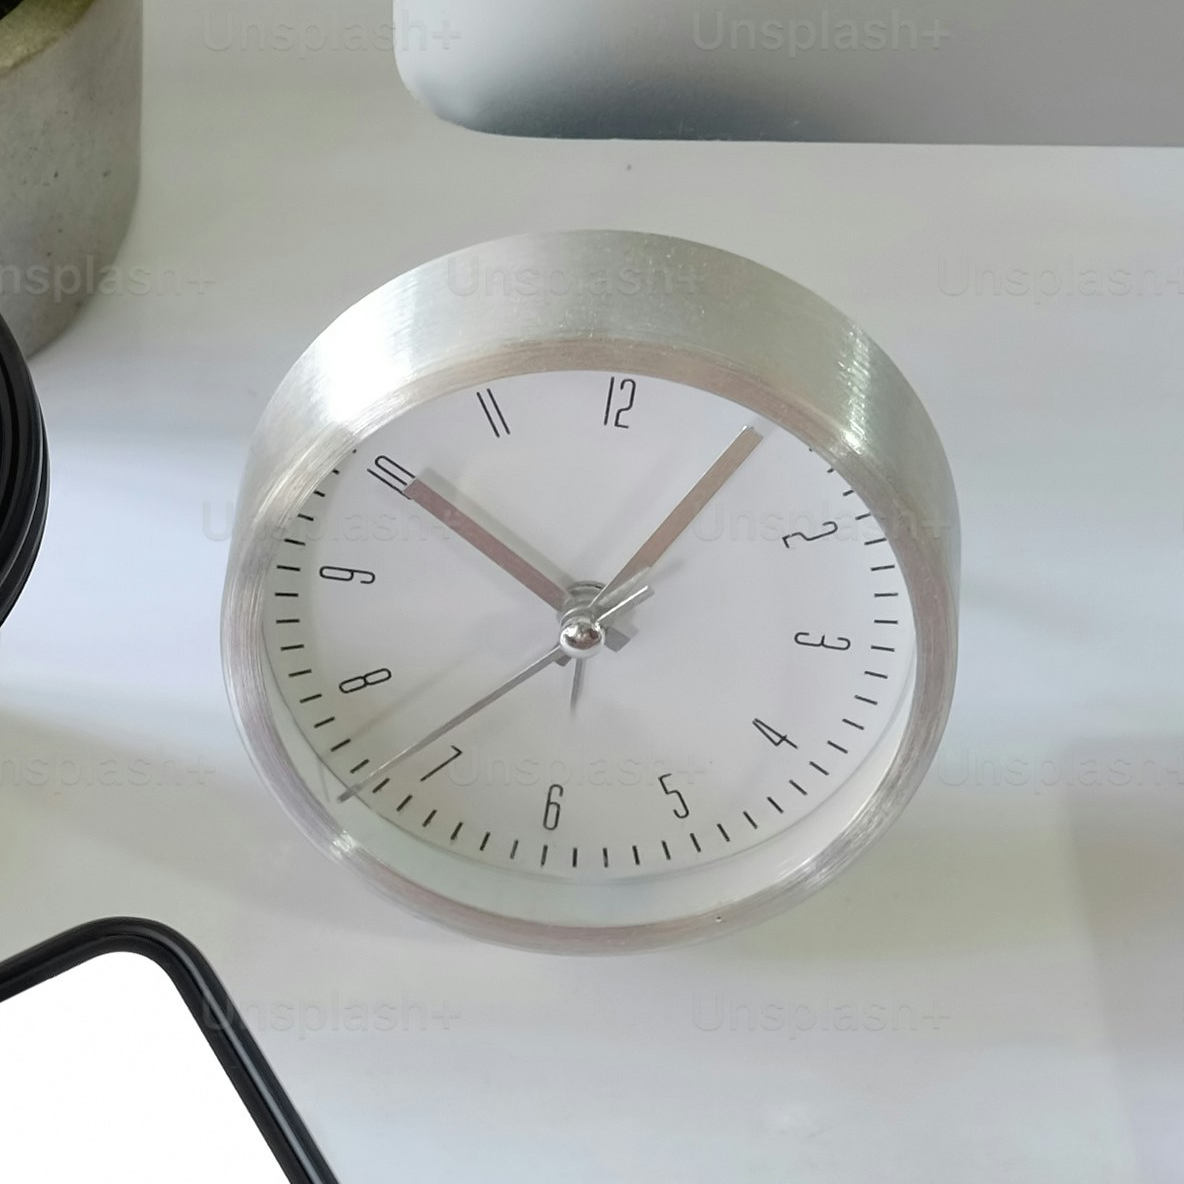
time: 10:05
